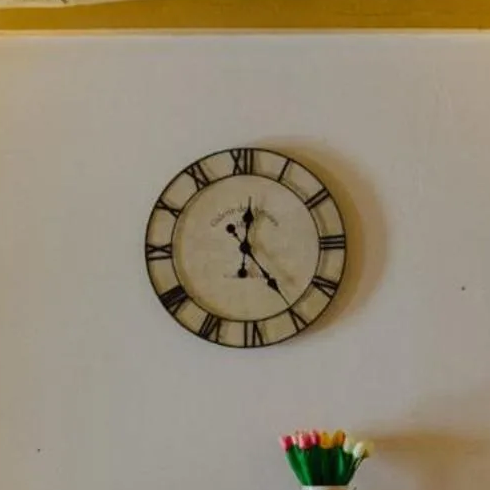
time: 12:24
